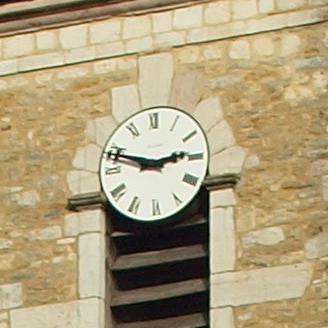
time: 2:48
